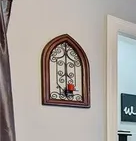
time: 5:59
